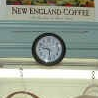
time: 9:28
